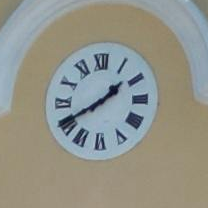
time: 1:40
